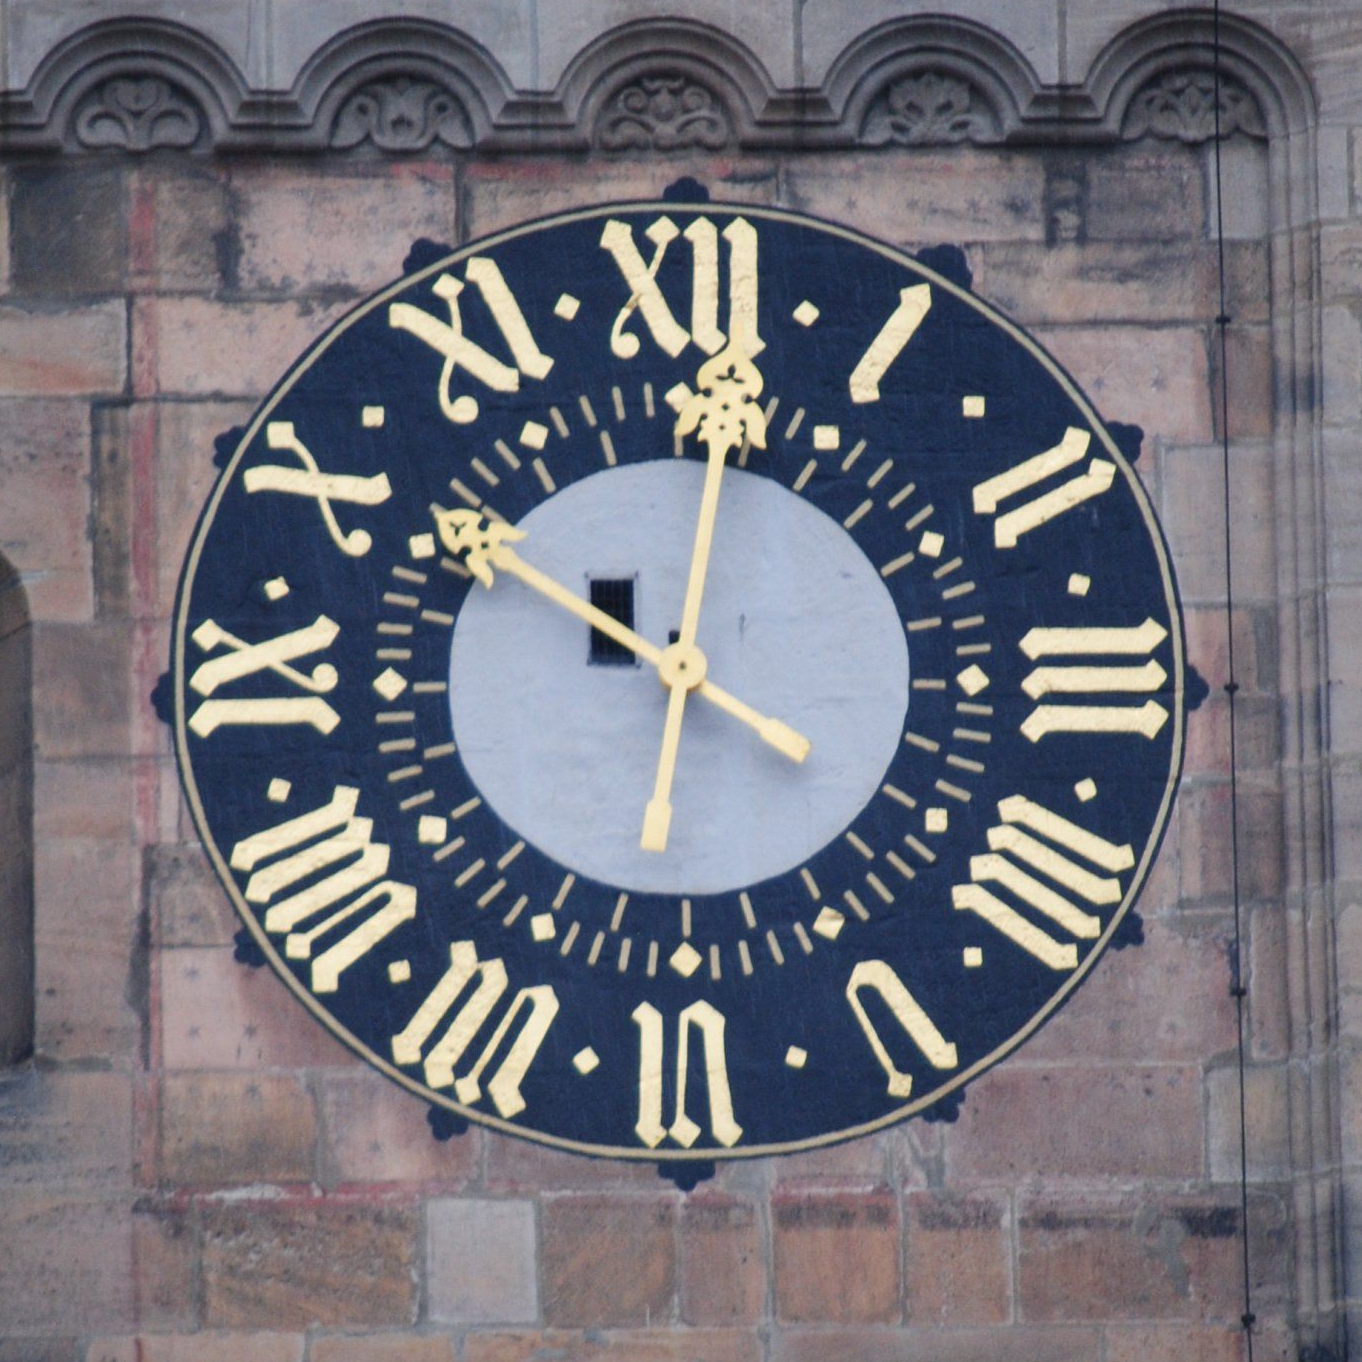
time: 10:01
